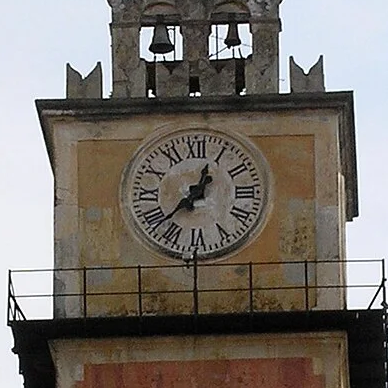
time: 12:37
